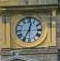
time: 12:34
